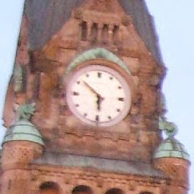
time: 5:51
